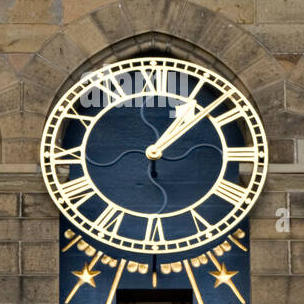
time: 1:07
